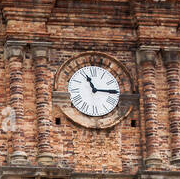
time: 11:14
